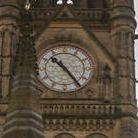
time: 10:24
